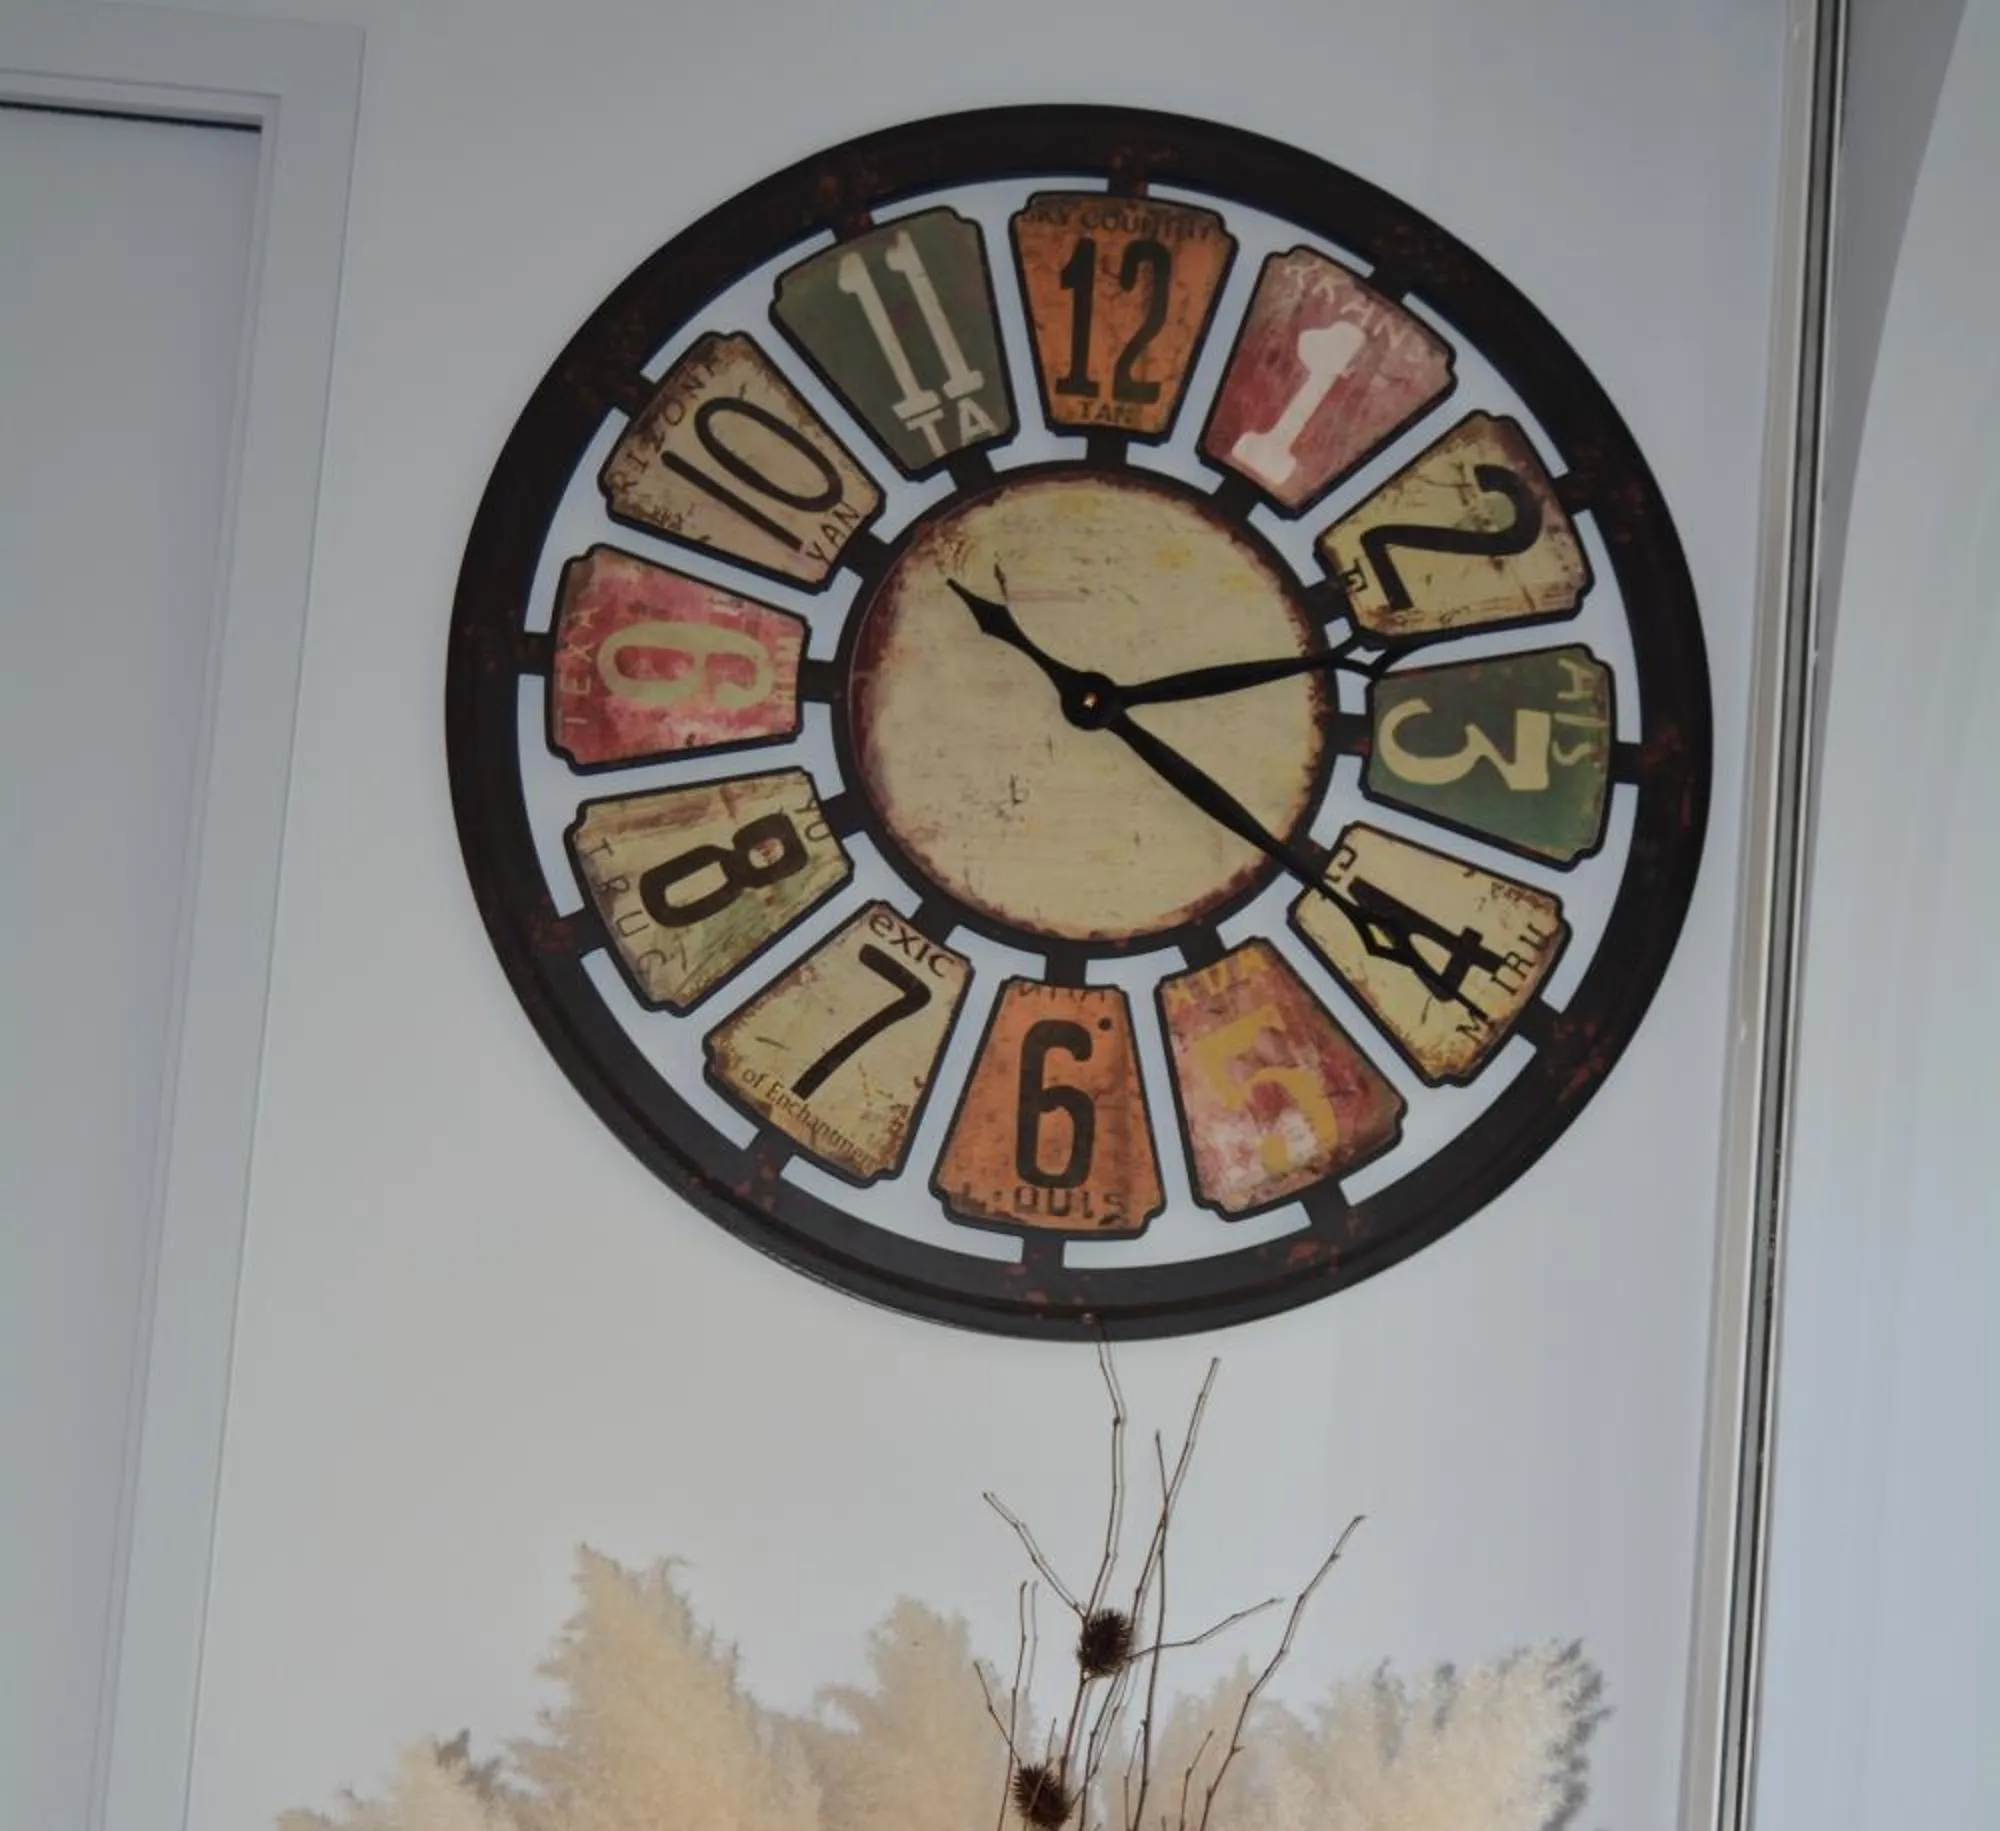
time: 2:21
